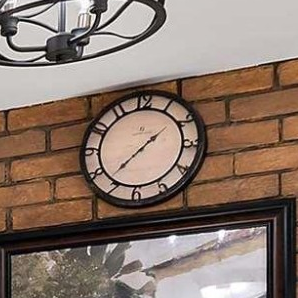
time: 1:37
